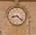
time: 8:22
